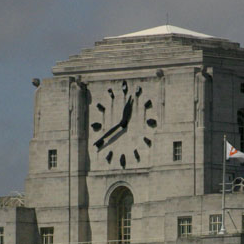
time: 12:40
